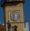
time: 11:32
